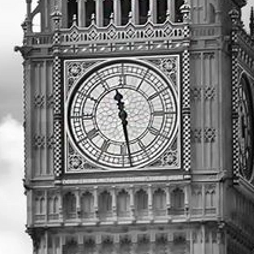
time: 11:28
